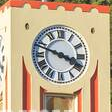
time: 3:48
